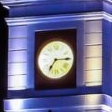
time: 7:14
